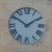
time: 1:50
